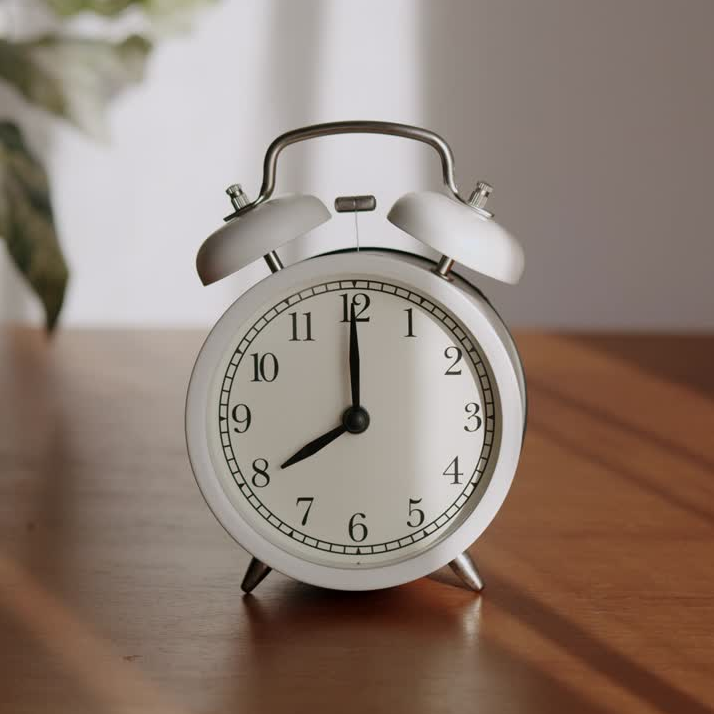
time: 8:00
